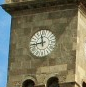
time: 11:43
